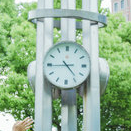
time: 4:44
